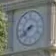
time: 7:39
